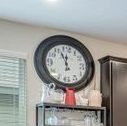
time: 11:56
